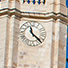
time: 11:22
